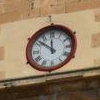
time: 11:51
